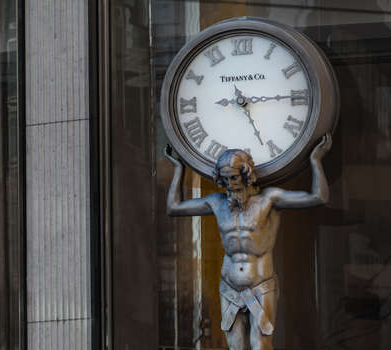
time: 5:14
